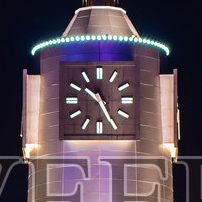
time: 10:25
